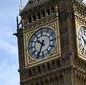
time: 10:34
